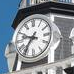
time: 9:36
